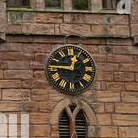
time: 12:45
